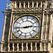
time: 2:44
